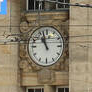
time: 10:57
